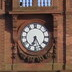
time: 6:25
